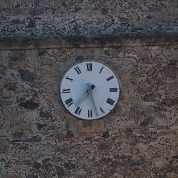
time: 7:27
